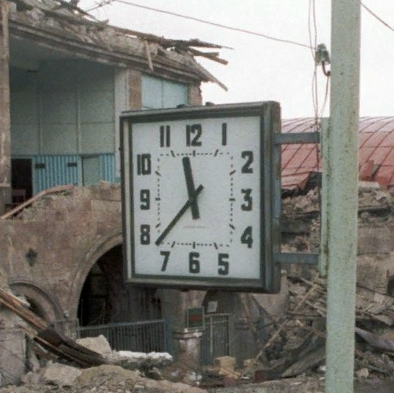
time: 11:37
